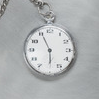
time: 5:55
